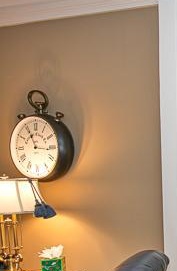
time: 11:15
